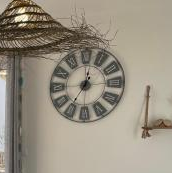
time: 12:36
